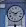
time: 1:47
